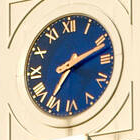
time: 7:11
